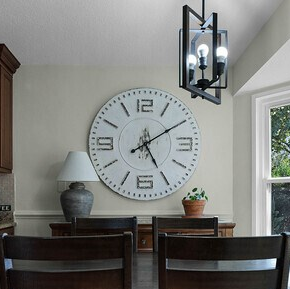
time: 5:09
